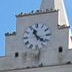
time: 11:21
